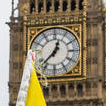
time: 12:37
